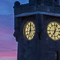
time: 7:00
